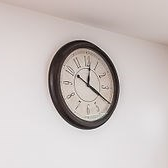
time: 12:19
